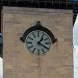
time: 1:20
